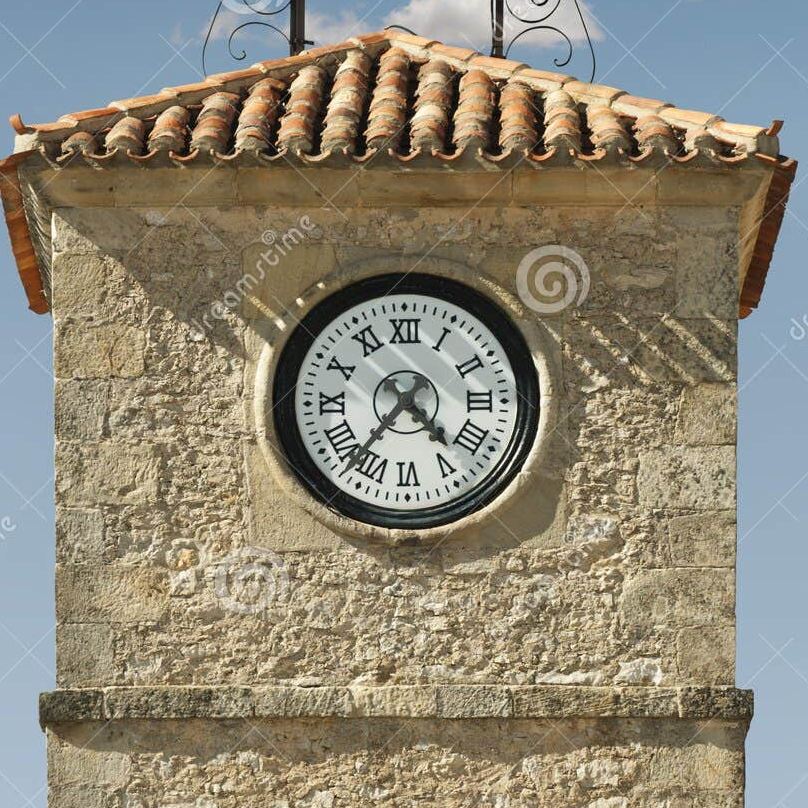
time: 4:36
